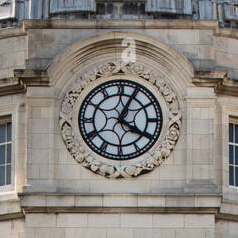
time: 4:04
